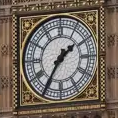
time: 1:35
